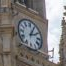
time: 2:04
